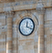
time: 12:18
